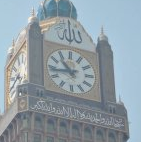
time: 10:43
